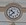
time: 10:38
